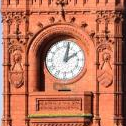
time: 2:02
